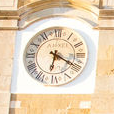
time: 6:20
